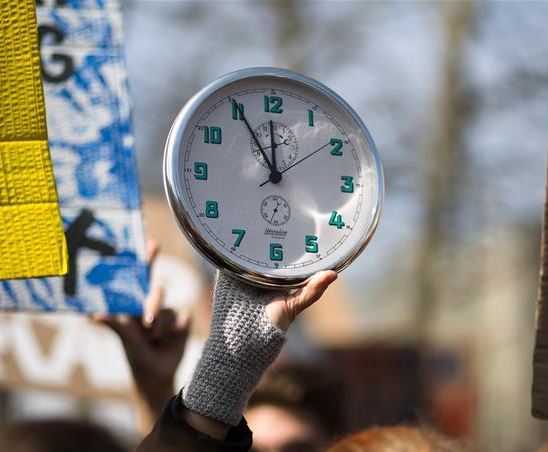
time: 11:55
